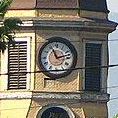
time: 11:12
